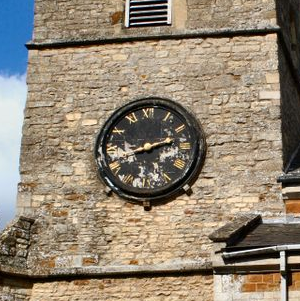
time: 2:41
